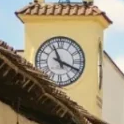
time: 11:18
